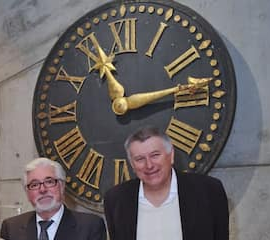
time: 11:13
